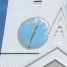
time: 12:32
